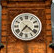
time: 7:21
